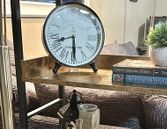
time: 8:29
